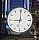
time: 9:00
